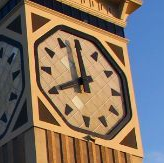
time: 7:59
